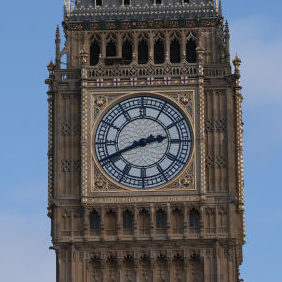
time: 2:40
